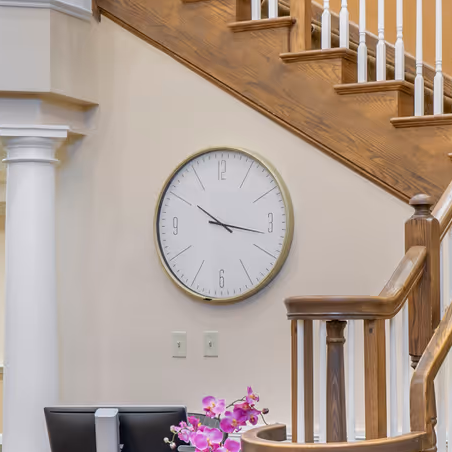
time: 10:16
